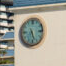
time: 5:26
